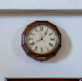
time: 8:05
